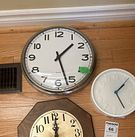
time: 1:27
